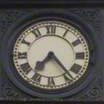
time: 7:23
